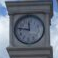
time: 11:46
